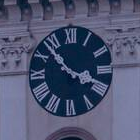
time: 3:53
